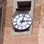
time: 3:02
